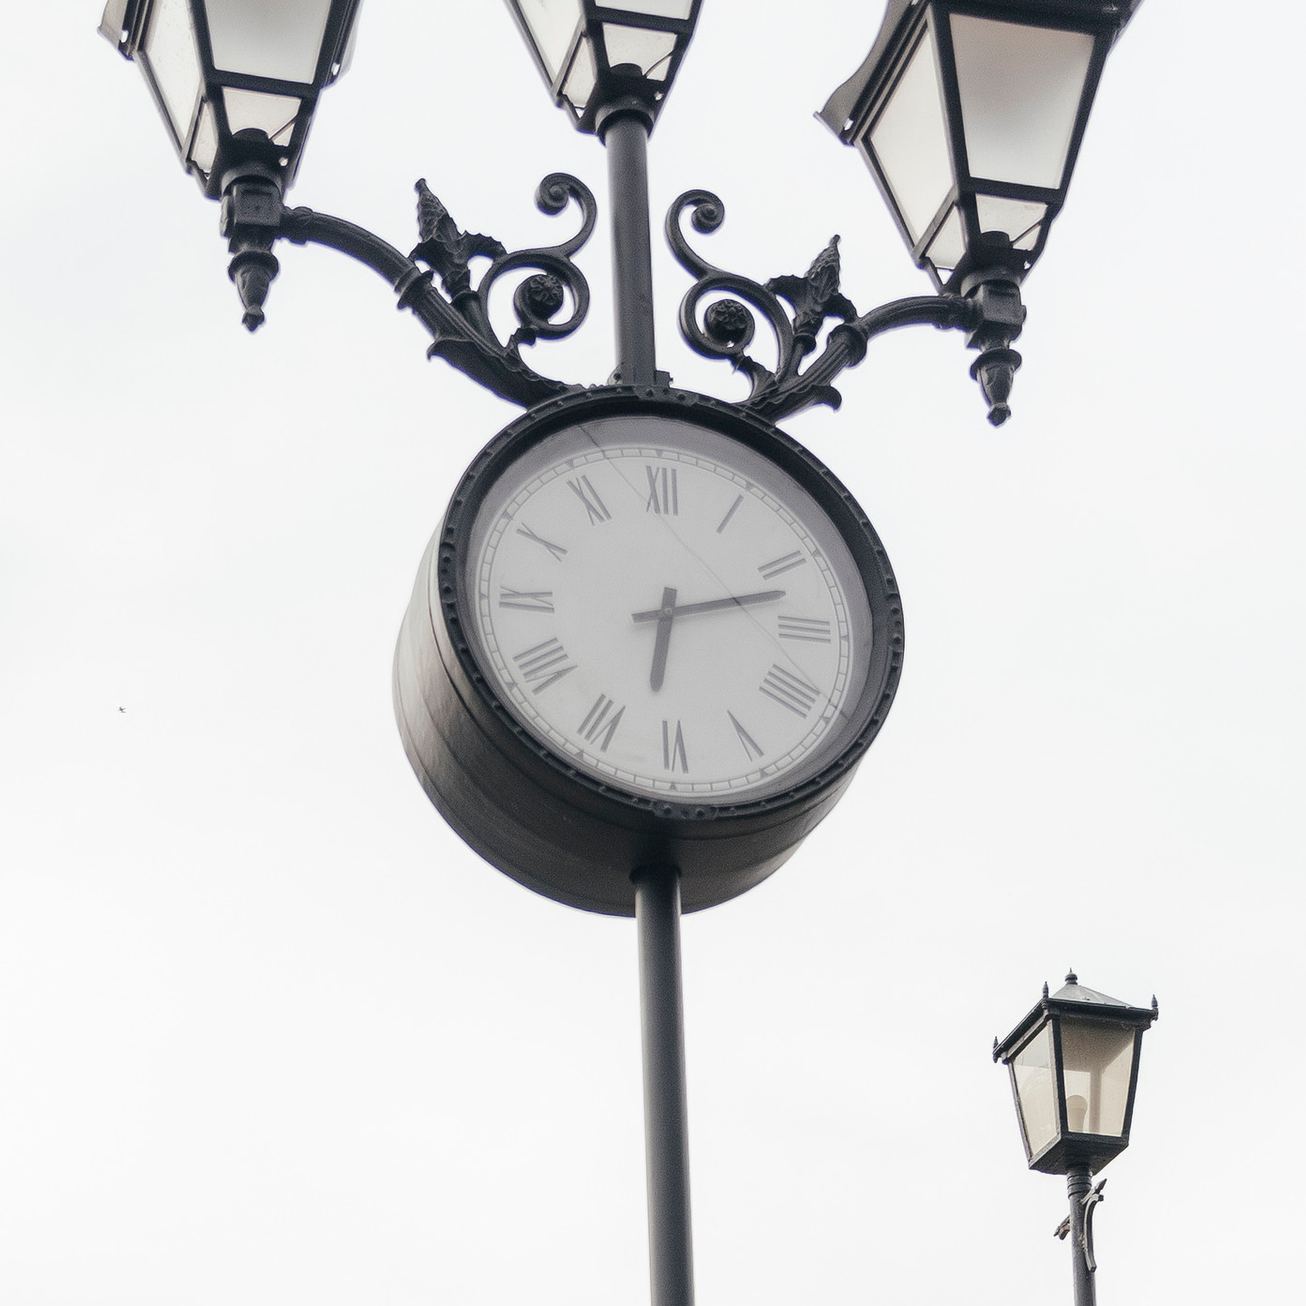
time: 6:12
